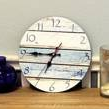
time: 6:45
